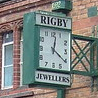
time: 12:21
